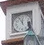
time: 11:55
